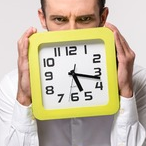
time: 5:17
